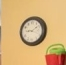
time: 9:09
